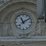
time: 11:09
